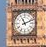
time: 11:11
